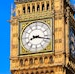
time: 8:17
